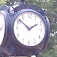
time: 1:51
